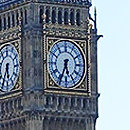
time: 5:33
